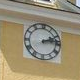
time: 2:13
